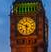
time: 5:49
